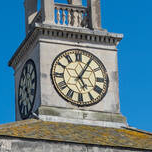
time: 5:05
